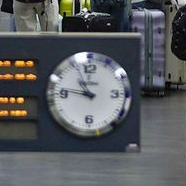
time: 10:46
